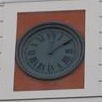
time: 12:09
